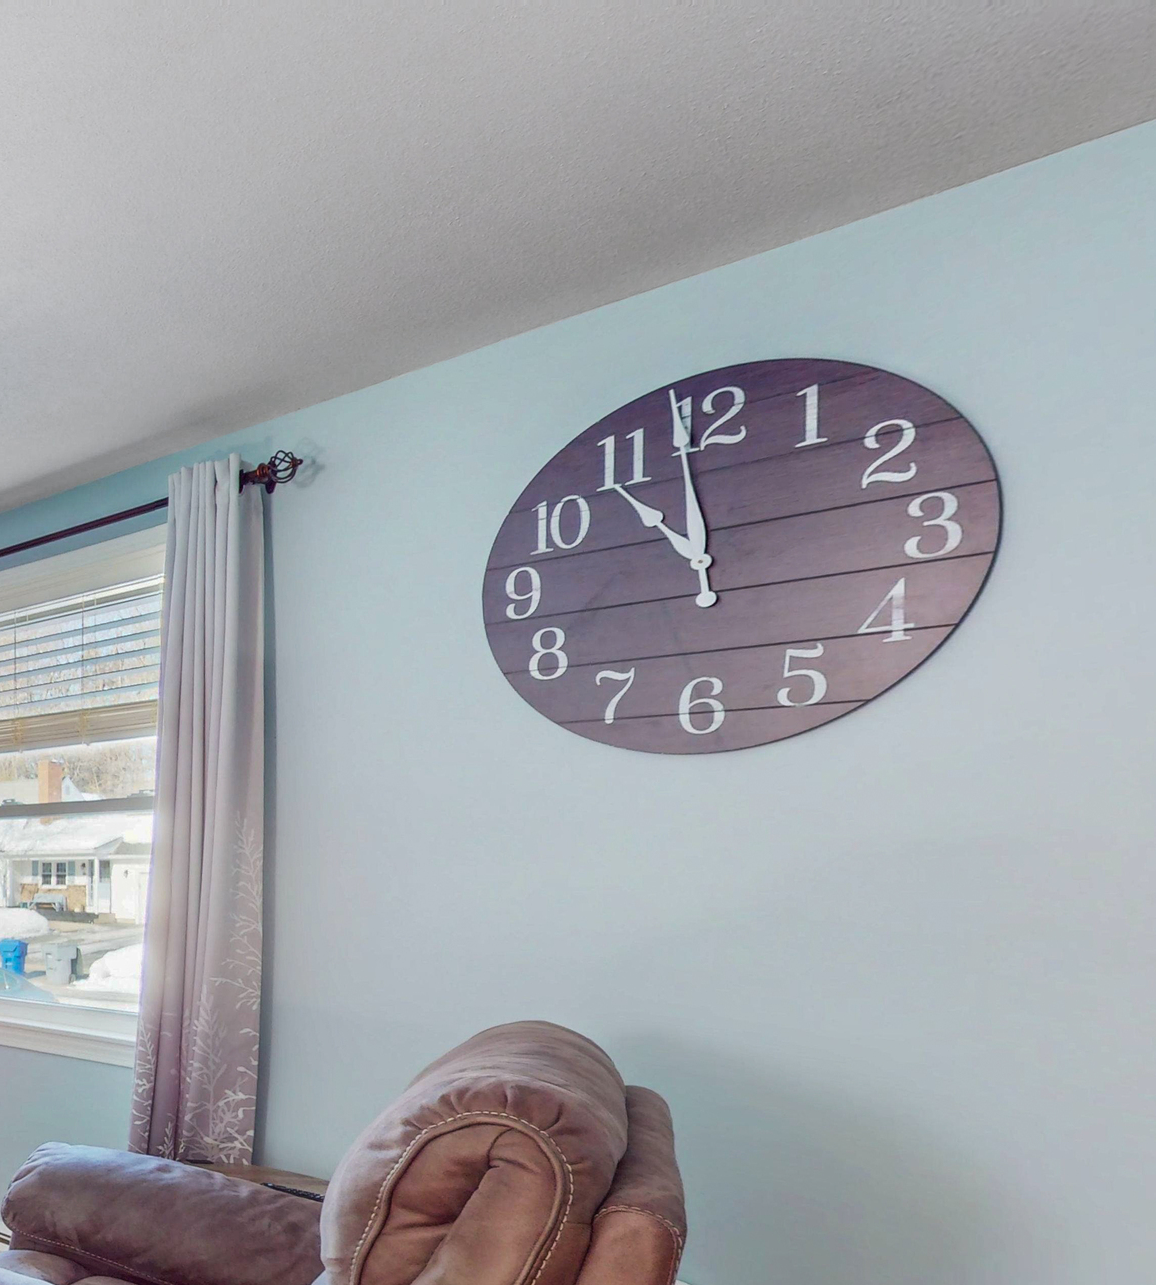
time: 10:58
